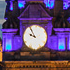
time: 9:54
